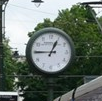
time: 12:45
